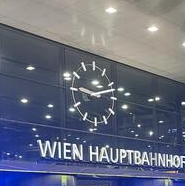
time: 9:12
